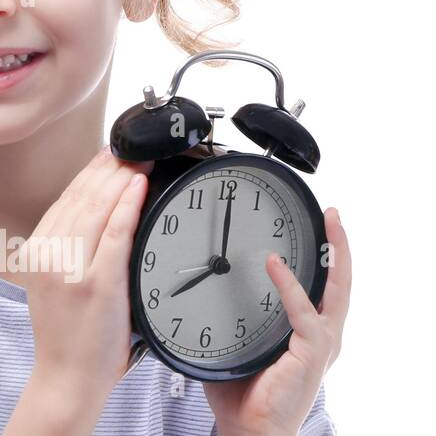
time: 8:00
